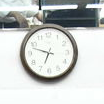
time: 6:47
